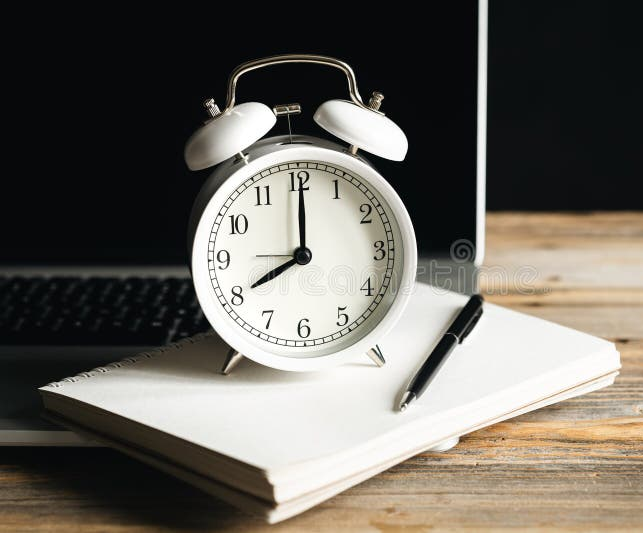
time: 8:00
